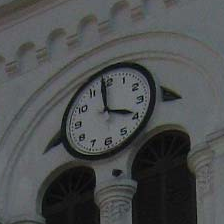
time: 3:58
